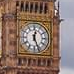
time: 12:26
